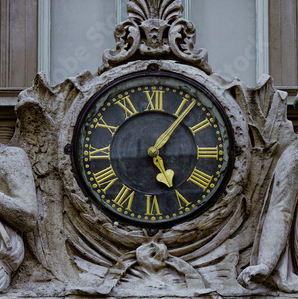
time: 5:06
